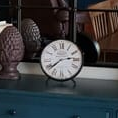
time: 2:38
